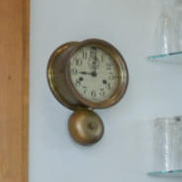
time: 9:01
